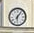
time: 6:06
